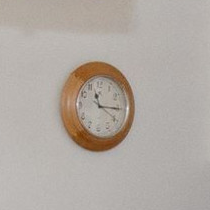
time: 11:15
